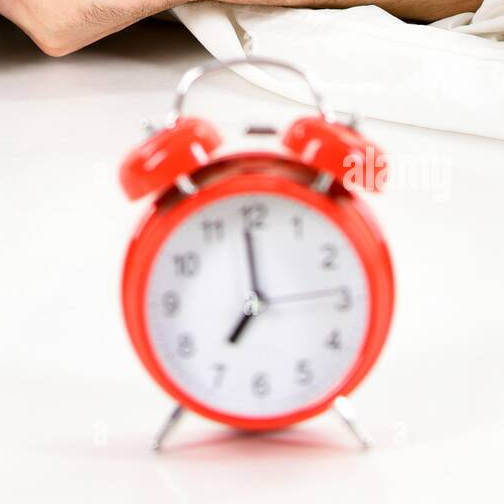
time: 6:59
